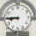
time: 8:45
